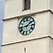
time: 1:43
